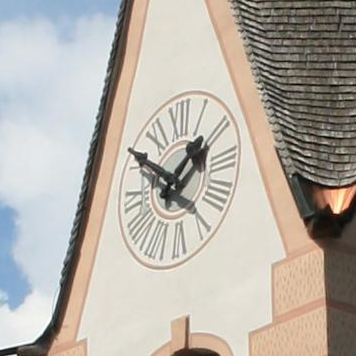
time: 1:50
